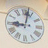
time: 9:01
